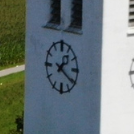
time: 1:20
